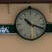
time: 10:18
